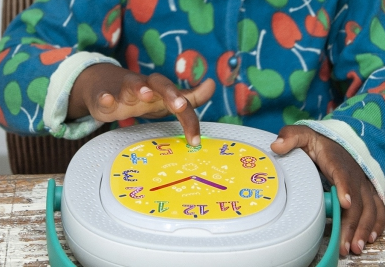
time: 3:40
